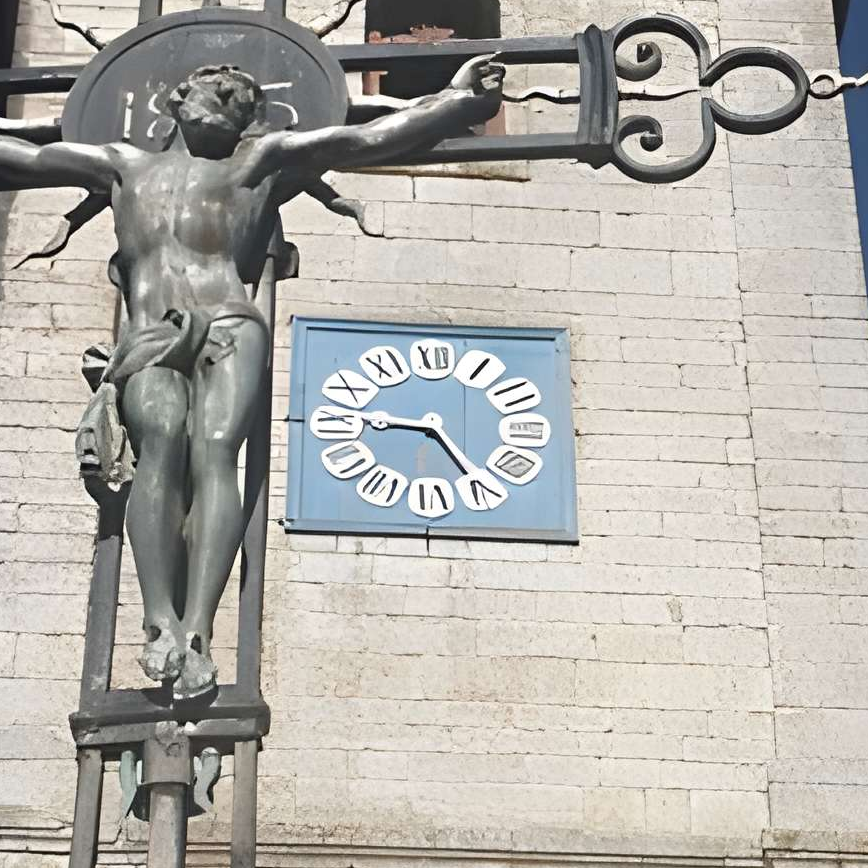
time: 4:45
